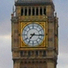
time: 7:15
